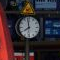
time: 7:58
